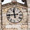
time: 11:43
